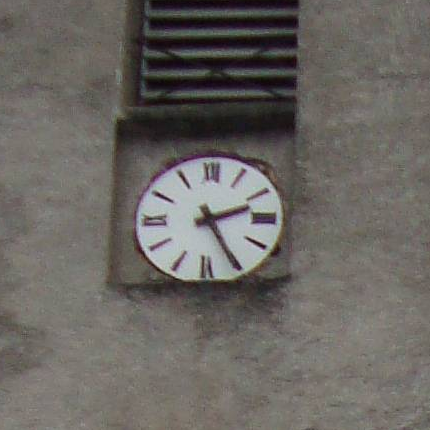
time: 2:25
